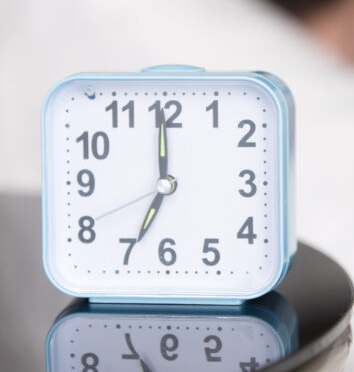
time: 6:59
